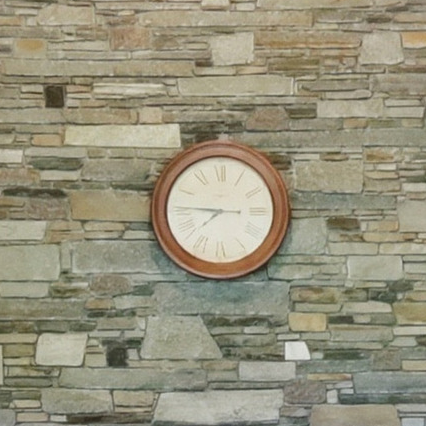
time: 7:45
